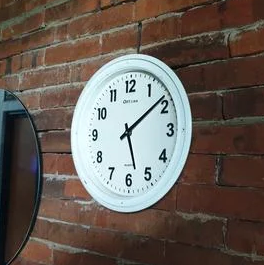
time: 5:08
